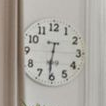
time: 6:31
